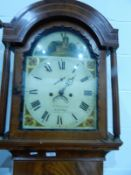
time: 4:07
